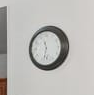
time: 11:32
